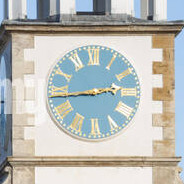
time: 2:43
